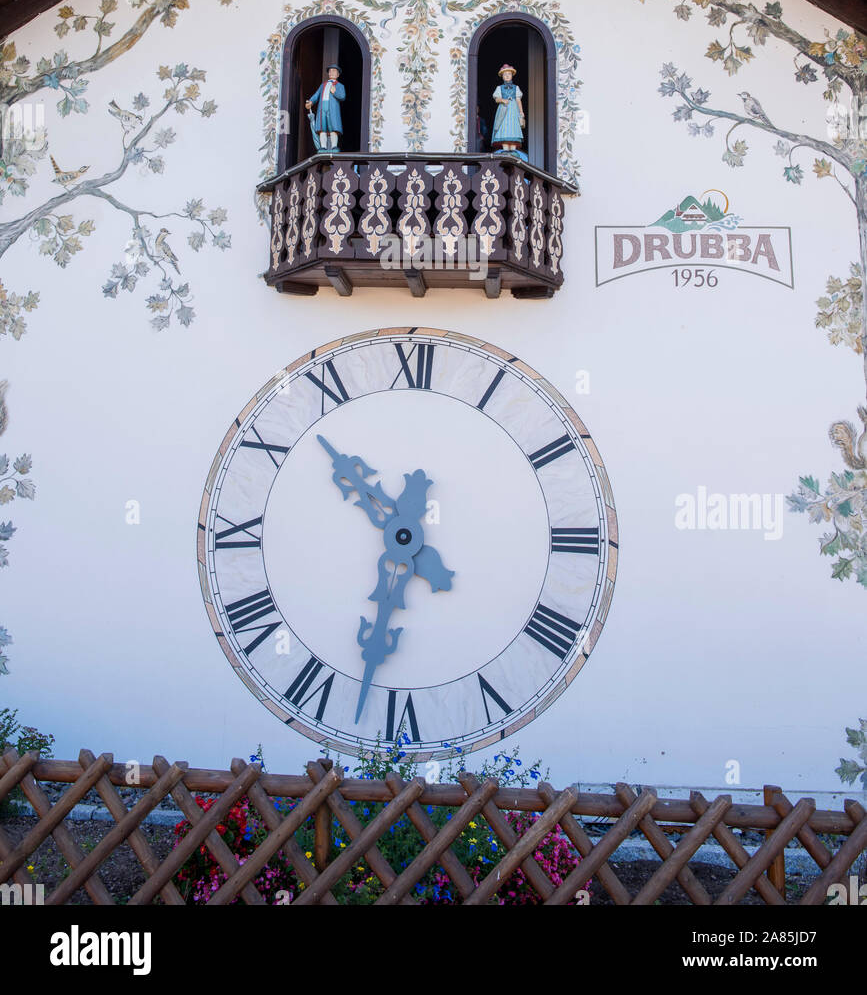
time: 10:32
